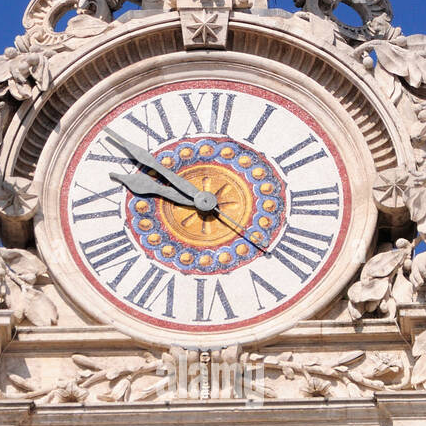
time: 9:51
